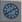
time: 8:09
